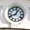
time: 12:41
